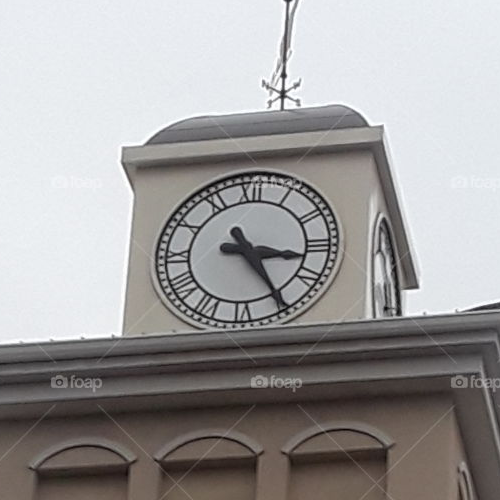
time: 3:24
